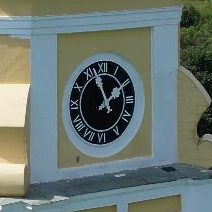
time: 1:57
